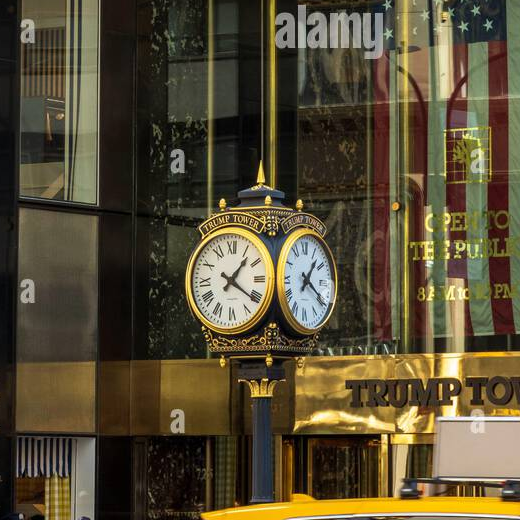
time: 1:20
